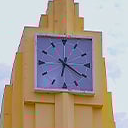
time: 6:20
